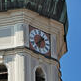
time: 1:32
